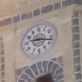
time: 9:17
